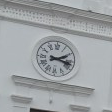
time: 2:17
